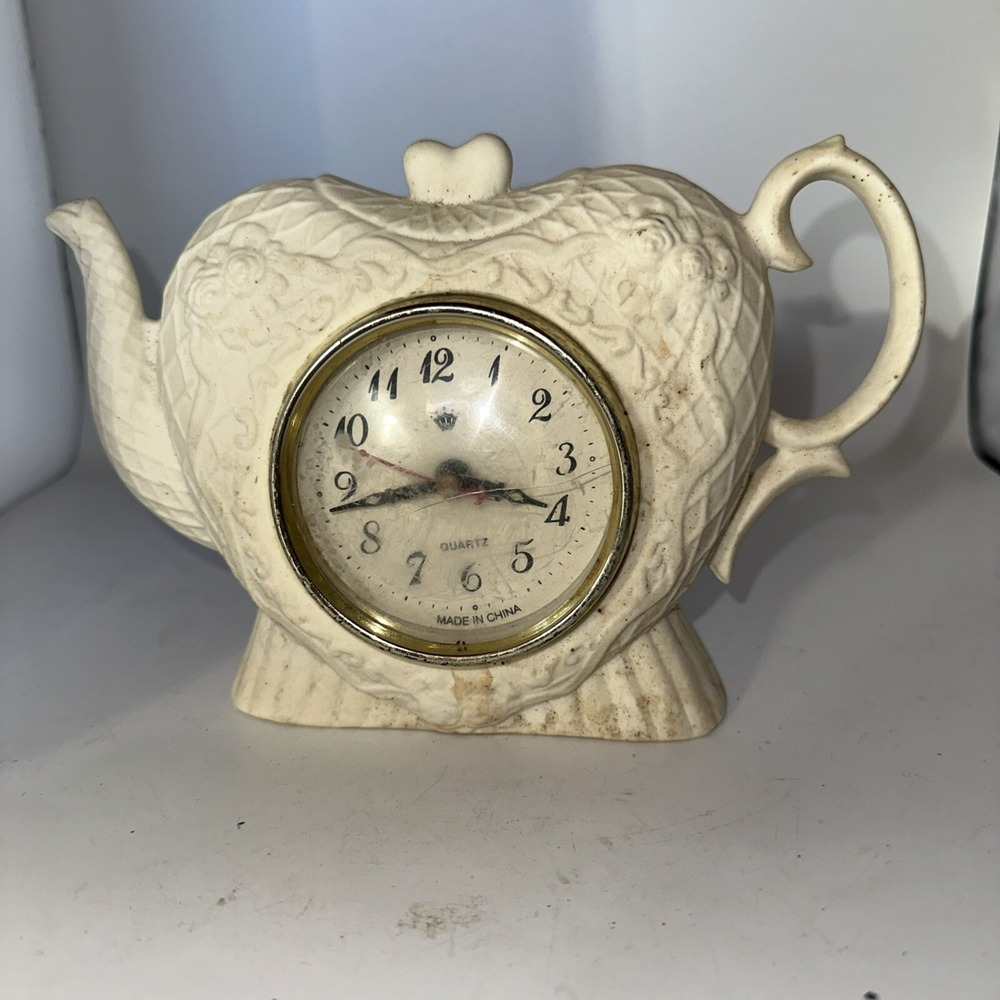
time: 3:43
